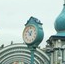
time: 12:52
